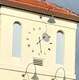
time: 1:28
